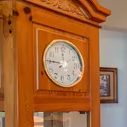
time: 11:45
